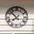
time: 7:52
